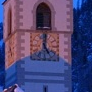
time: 5:00
